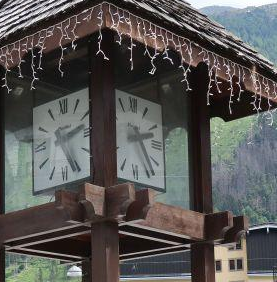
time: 2:23
